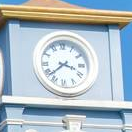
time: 3:38
